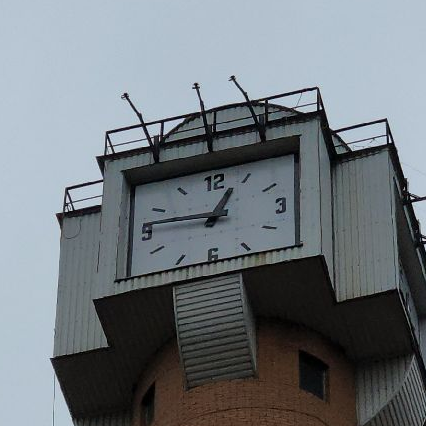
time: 12:46
